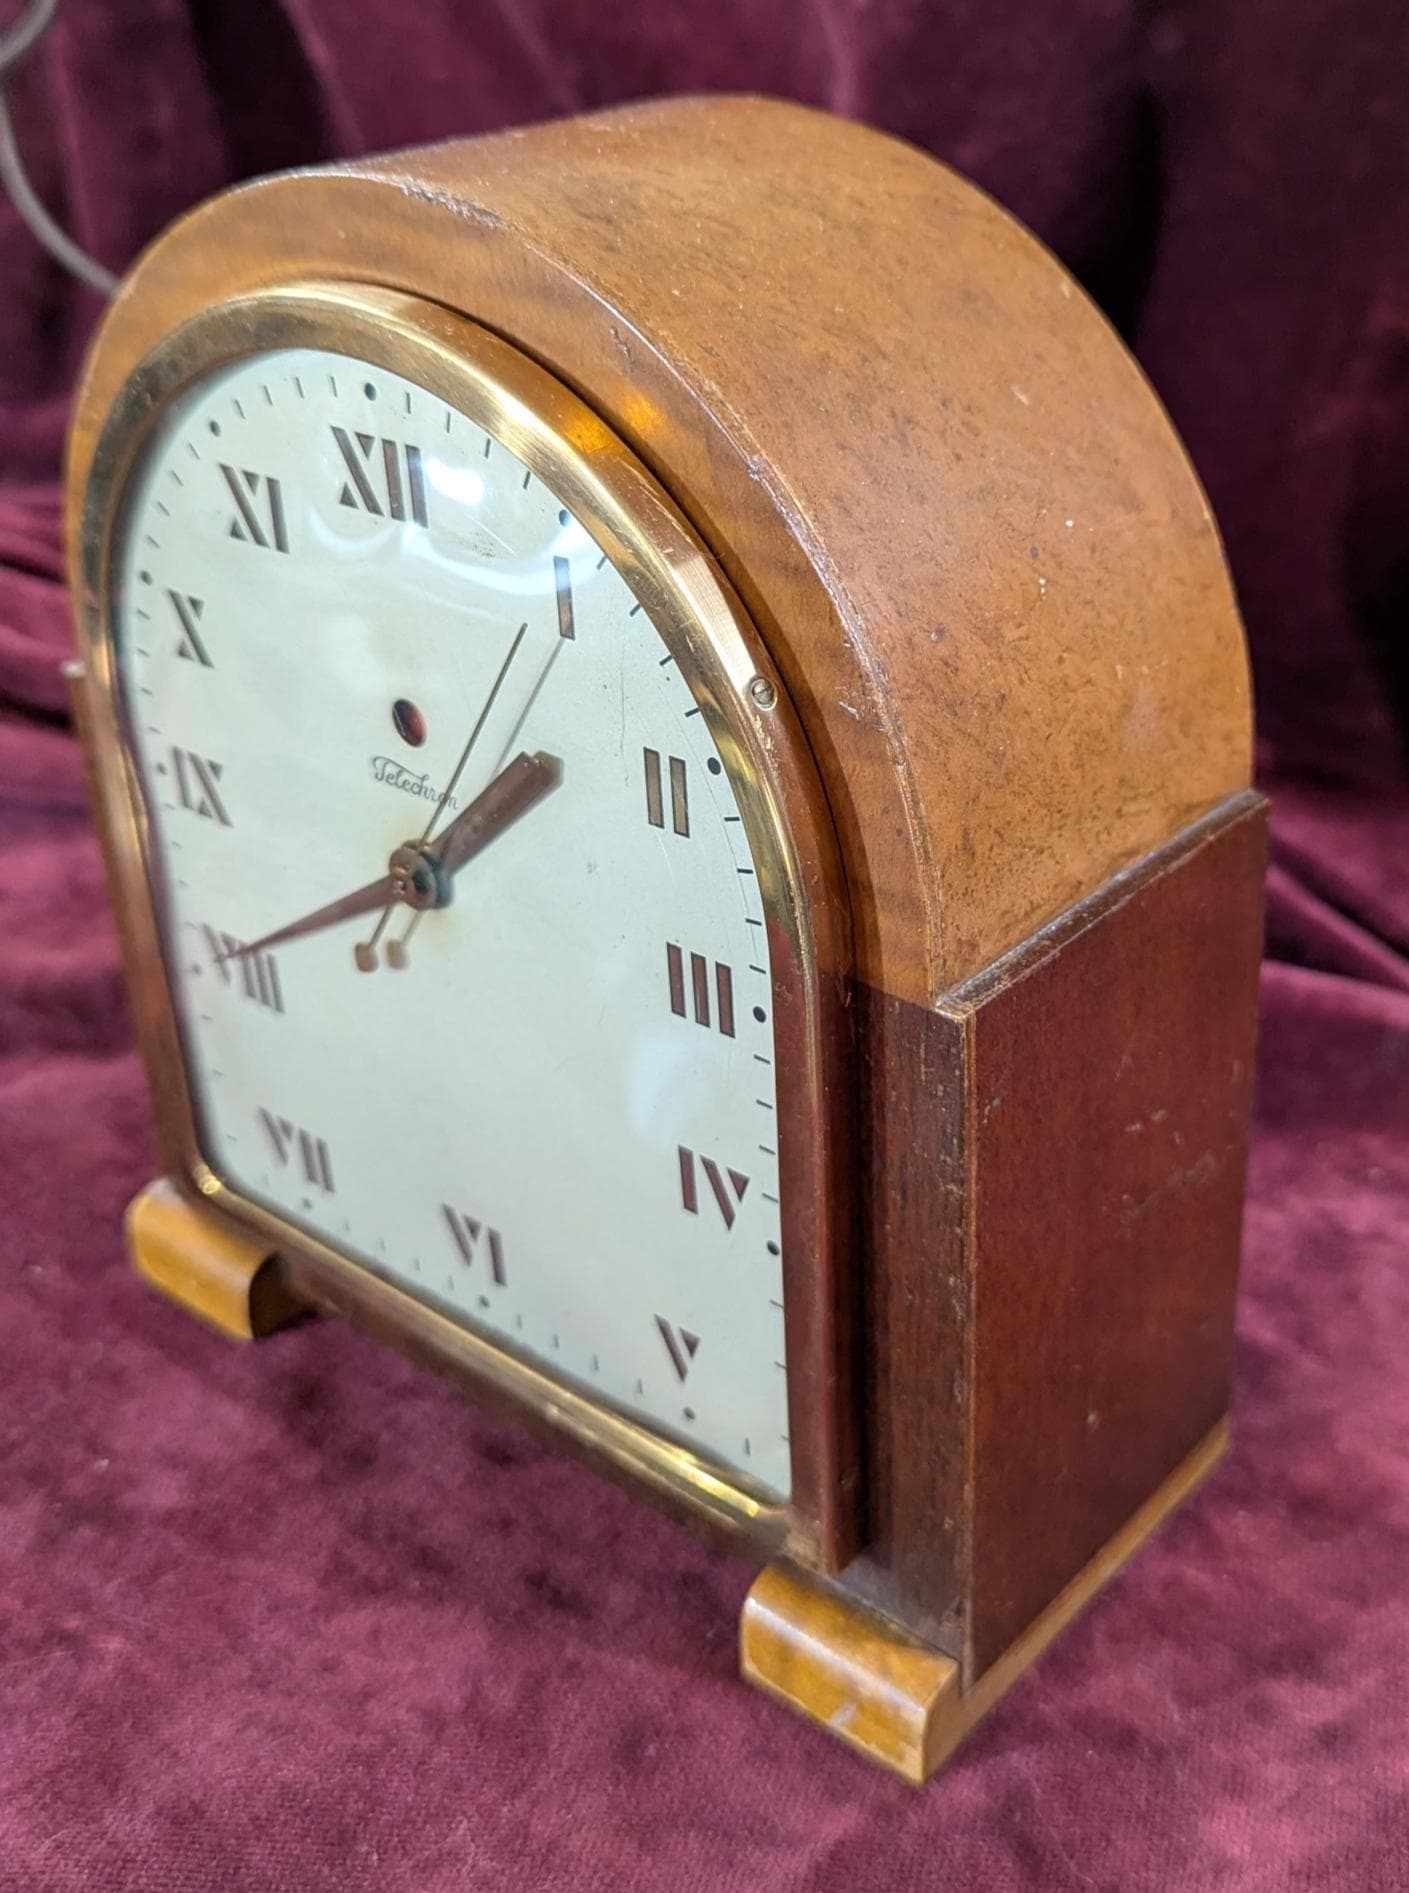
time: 1:40
